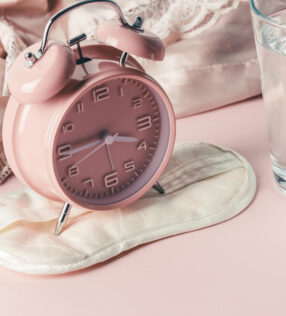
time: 3:45
